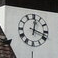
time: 12:18
